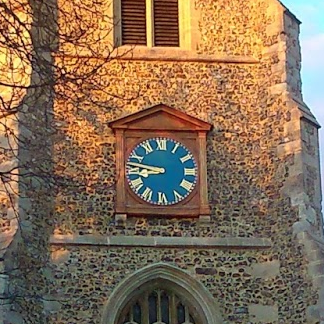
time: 8:46
